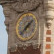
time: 1:37
